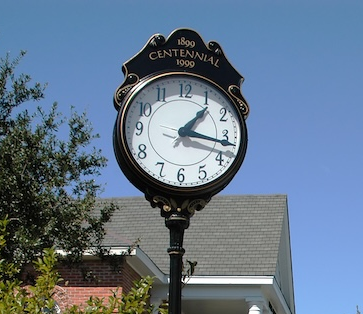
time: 1:16
